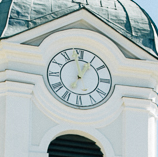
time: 12:58
